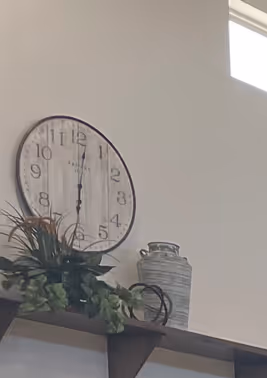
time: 6:01
